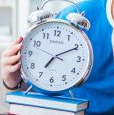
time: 7:10
